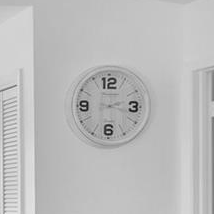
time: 2:18
